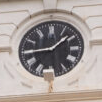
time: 1:44
